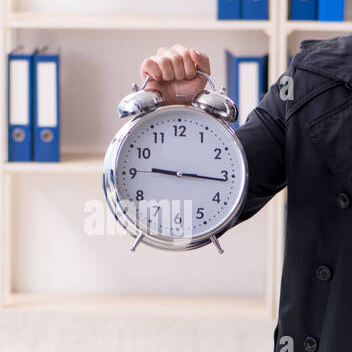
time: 9:16
